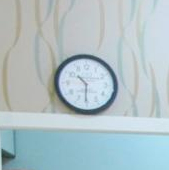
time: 10:30
